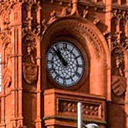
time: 10:52
